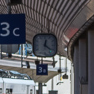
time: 12:22
